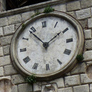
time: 1:53
